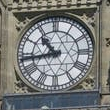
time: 10:43
